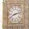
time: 8:12
